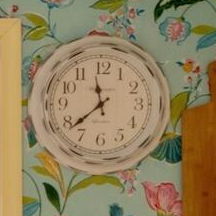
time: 11:38
